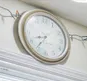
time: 8:35
